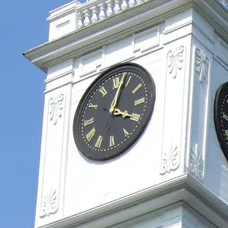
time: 4:02
